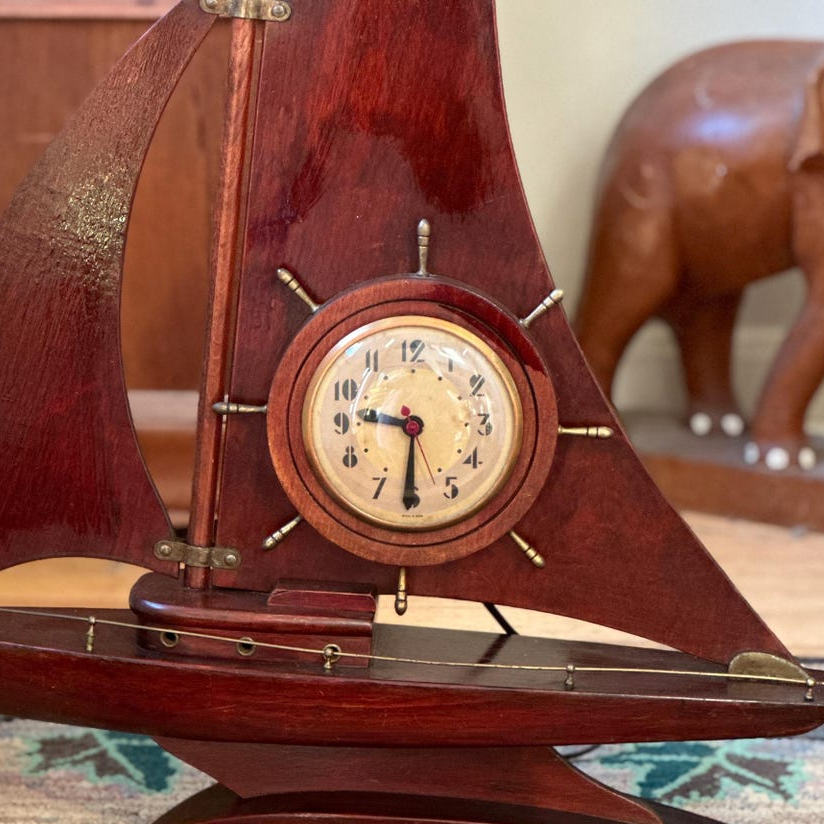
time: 9:30
